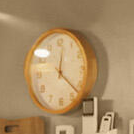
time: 12:22
